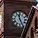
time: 11:25
